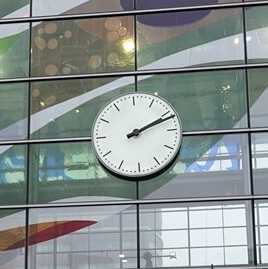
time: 2:11
